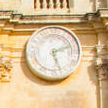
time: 2:26
